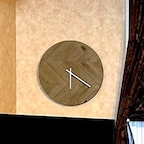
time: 6:20
